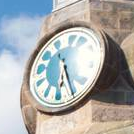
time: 5:24
